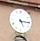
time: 5:15
